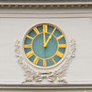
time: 12:59
